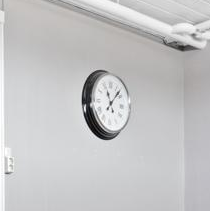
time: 11:07
